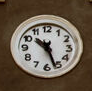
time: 10:26
